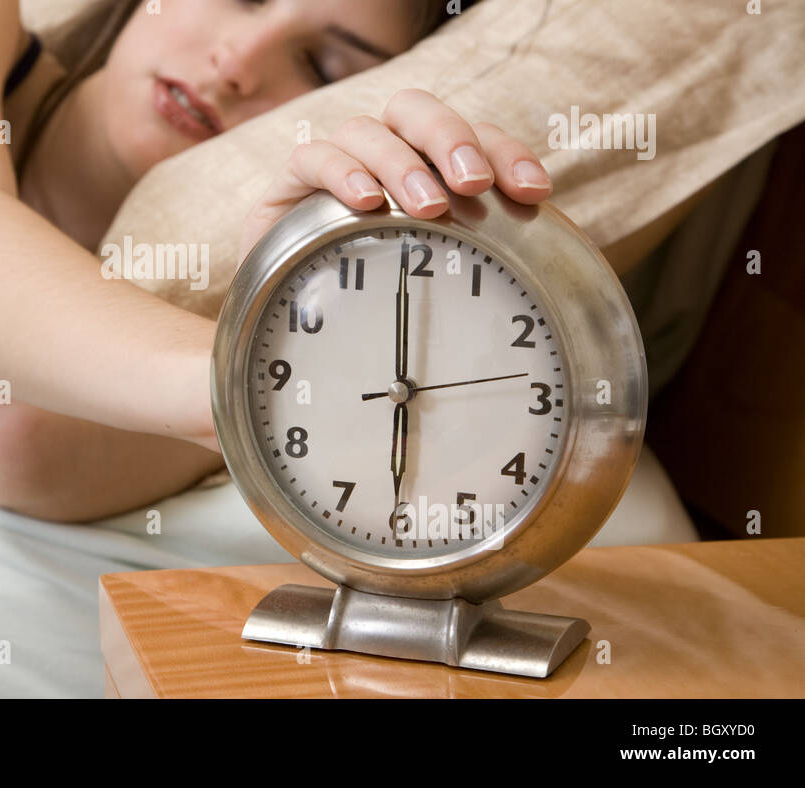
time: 5:59
